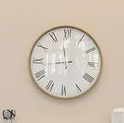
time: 11:43
